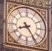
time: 8:24
